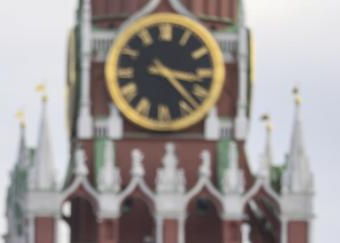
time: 3:22
